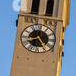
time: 8:24
